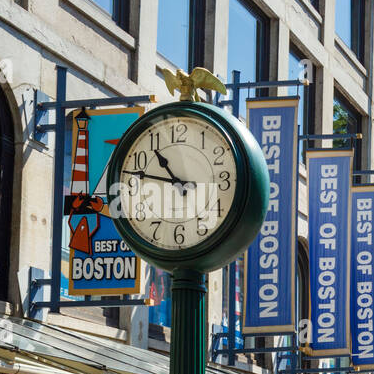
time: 10:47
